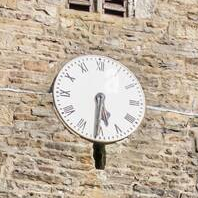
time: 5:30
